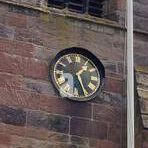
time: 1:26
